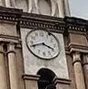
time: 3:42
